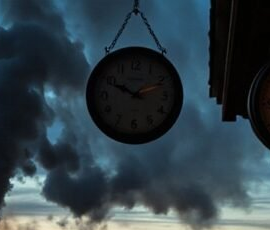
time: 9:49
